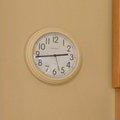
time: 2:43
